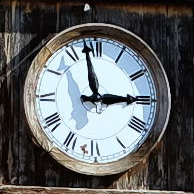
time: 2:58
